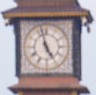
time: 4:57
